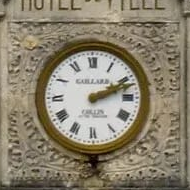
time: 2:11
